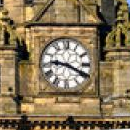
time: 9:20
